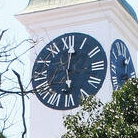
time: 6:01
